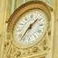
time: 1:36
